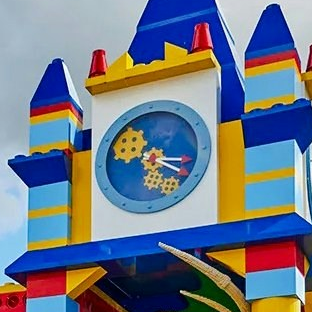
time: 3:20
